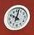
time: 10:02
